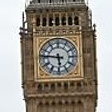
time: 5:46
